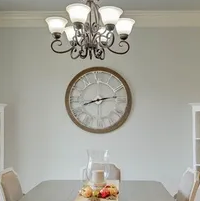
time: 8:13
